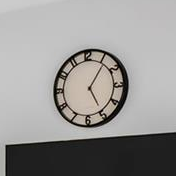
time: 5:05
